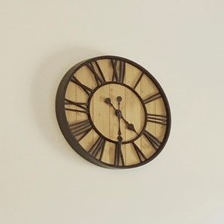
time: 4:29
